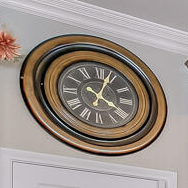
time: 4:03
